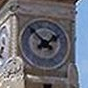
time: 1:53
